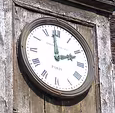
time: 1:58
